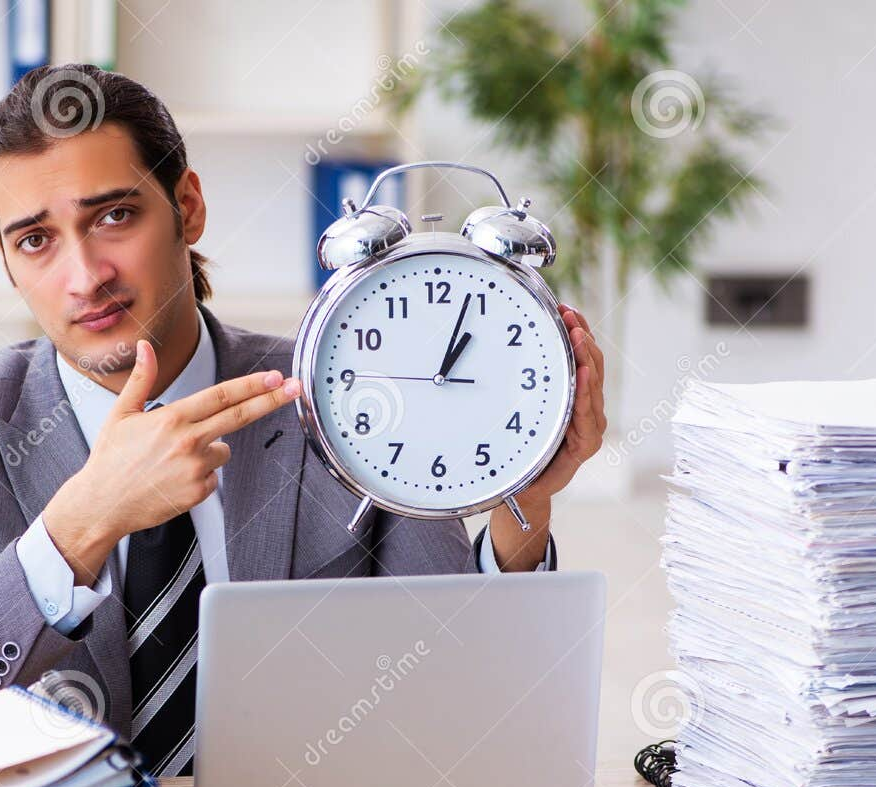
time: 1:03
